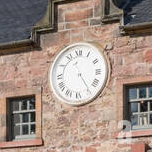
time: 11:24
